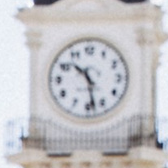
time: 10:28
